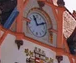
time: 11:11
